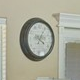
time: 4:04
